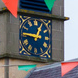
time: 12:46
